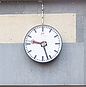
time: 9:26
